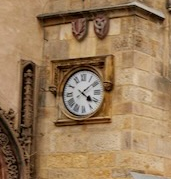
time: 4:09
